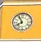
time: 7:55
